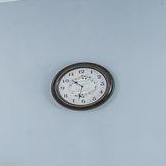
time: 10:32
